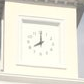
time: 8:00
